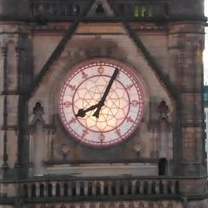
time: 8:04
